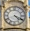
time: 4:19
